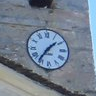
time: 1:36
